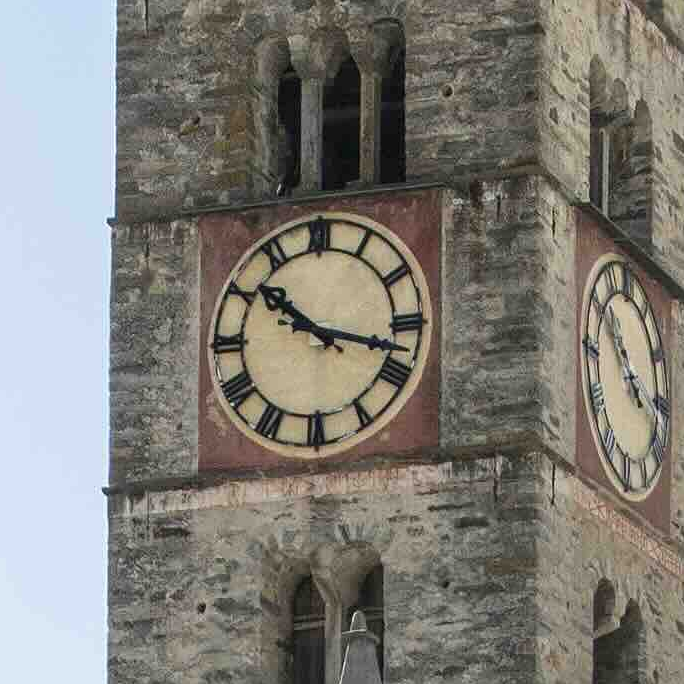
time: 10:17
